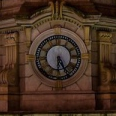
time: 6:25
